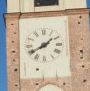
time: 1:40
